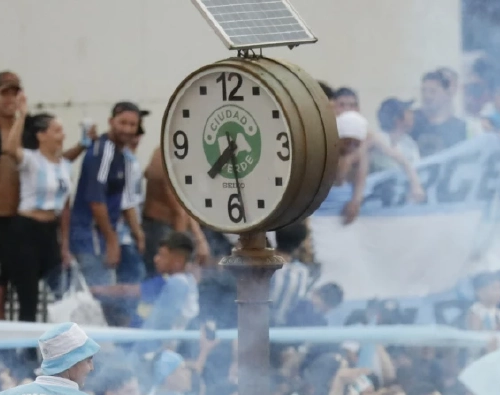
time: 7:28
